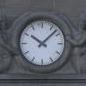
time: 10:07
